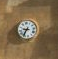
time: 9:36
